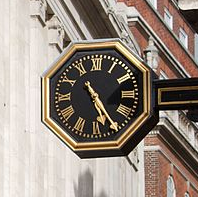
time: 5:24
